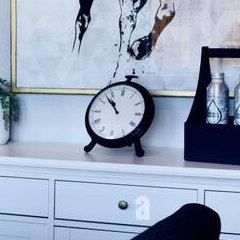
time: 10:52
